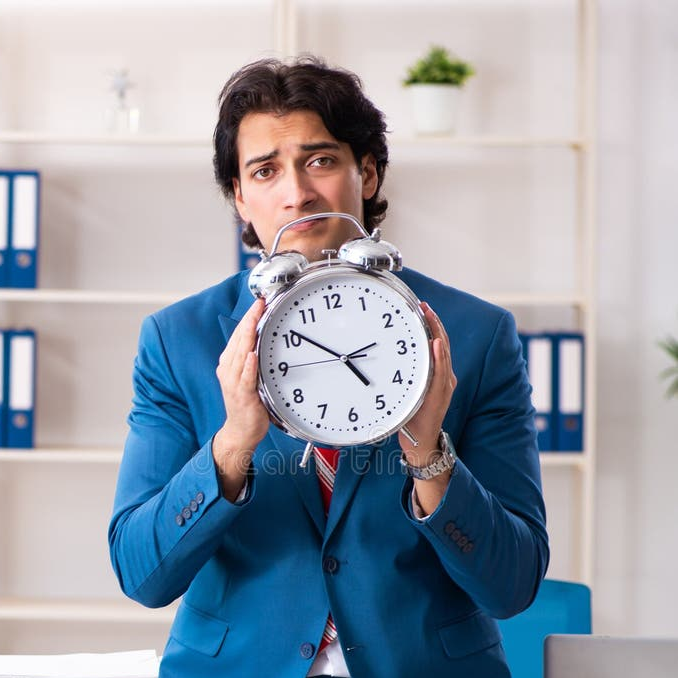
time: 4:51
